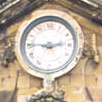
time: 2:45
